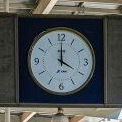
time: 4:00
